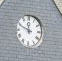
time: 11:48
